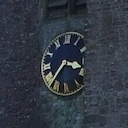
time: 3:36
